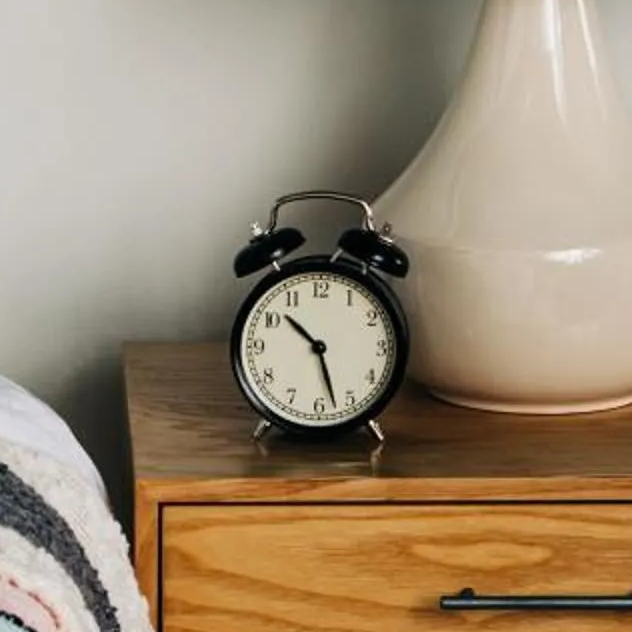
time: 10:27
